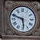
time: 5:48
